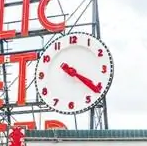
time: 4:20
